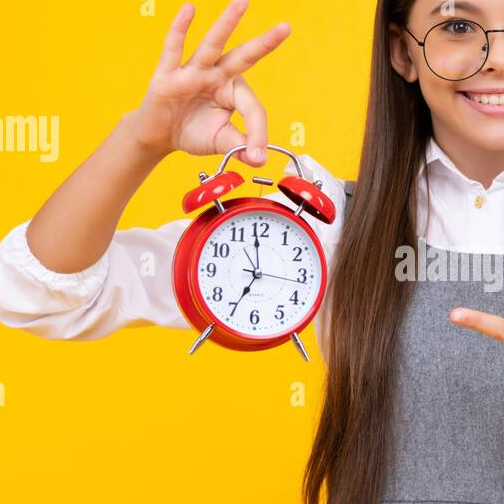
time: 6:59
